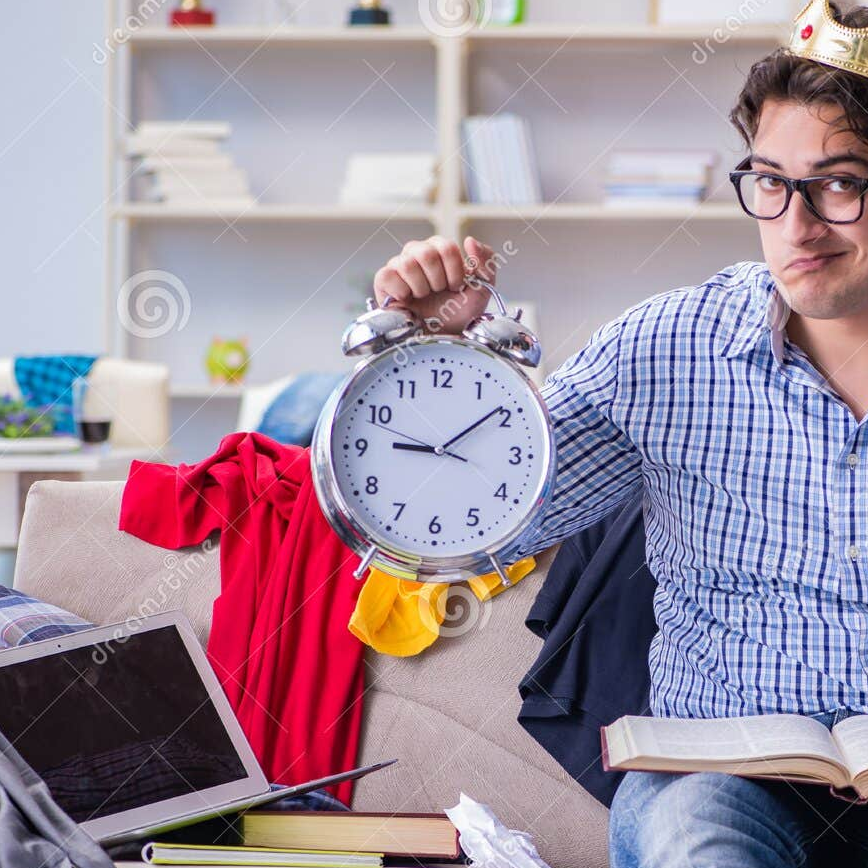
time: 9:09
